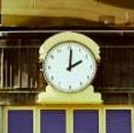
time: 2:01
